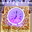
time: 7:00
